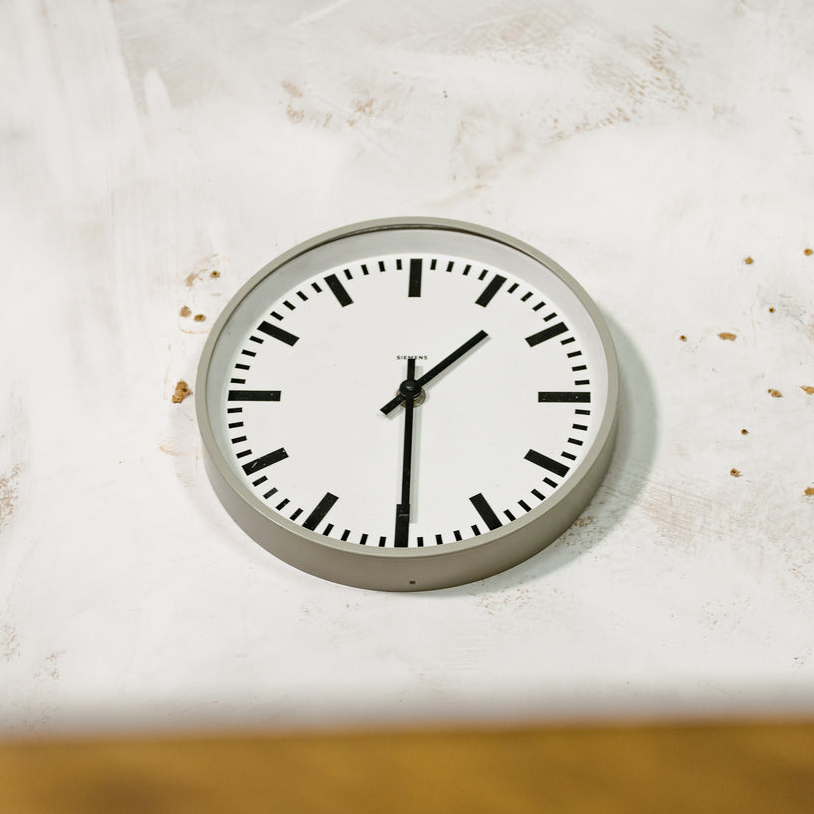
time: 1:30
